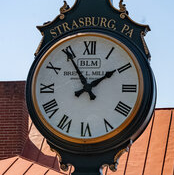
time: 1:54
